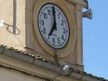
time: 6:59
